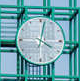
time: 4:02
